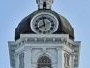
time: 7:58
